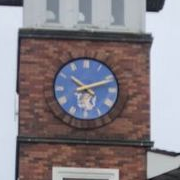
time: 10:11
